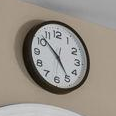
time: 4:52
